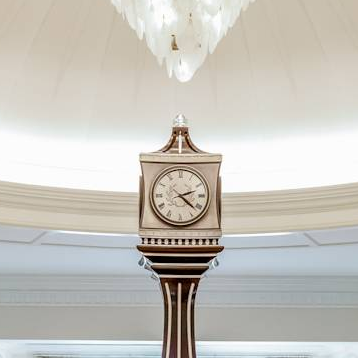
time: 2:21
